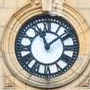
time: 11:08
